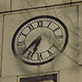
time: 6:38
